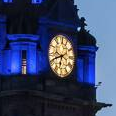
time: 6:41
